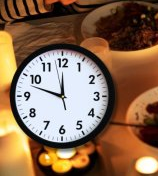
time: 11:47
